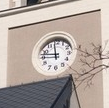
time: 11:46
